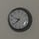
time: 9:38
